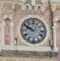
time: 9:50
